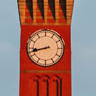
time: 8:42
